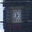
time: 11:35
